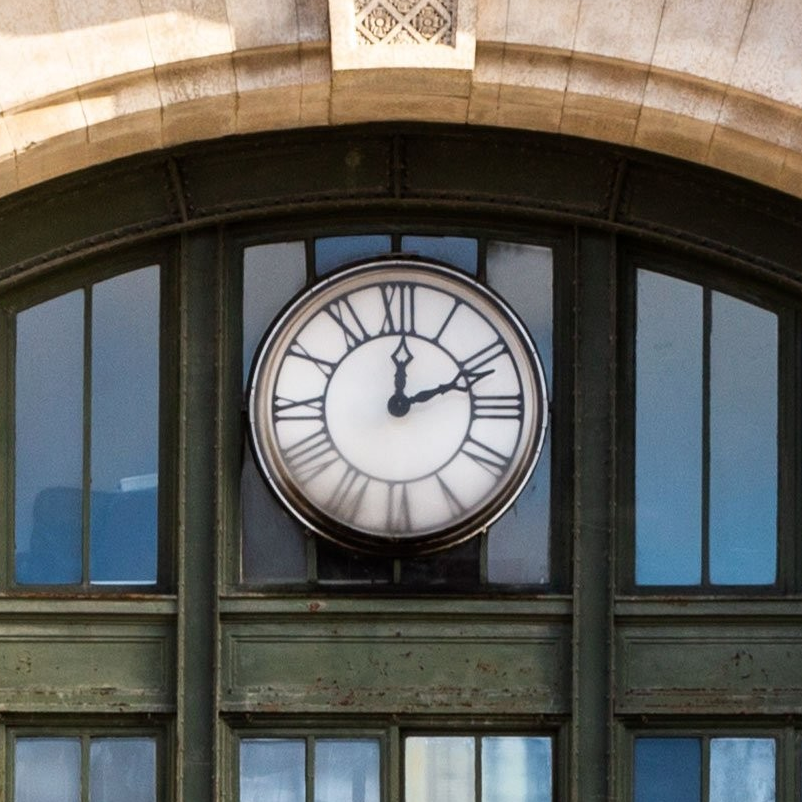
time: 12:11
